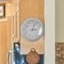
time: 3:02
